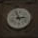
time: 2:56
